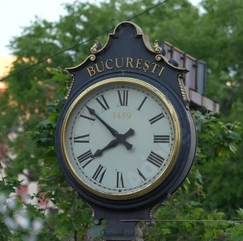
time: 7:51
